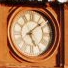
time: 5:08
